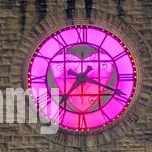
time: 7:18
